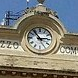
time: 2:53
